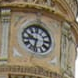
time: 9:32
